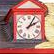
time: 2:05
